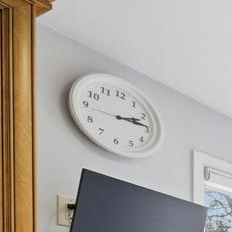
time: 2:13
